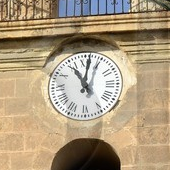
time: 11:01
